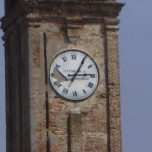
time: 3:05
